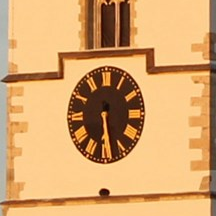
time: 6:29
